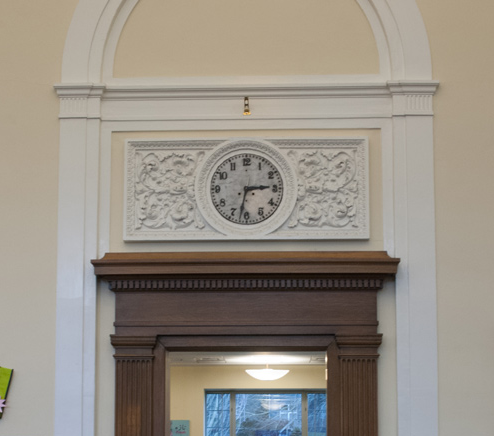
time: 3:32
